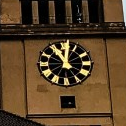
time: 11:01
